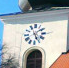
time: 5:08
